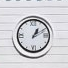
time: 1:10
